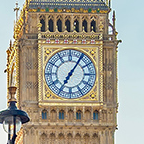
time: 7:05
